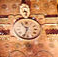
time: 10:32
